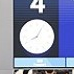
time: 8:04
